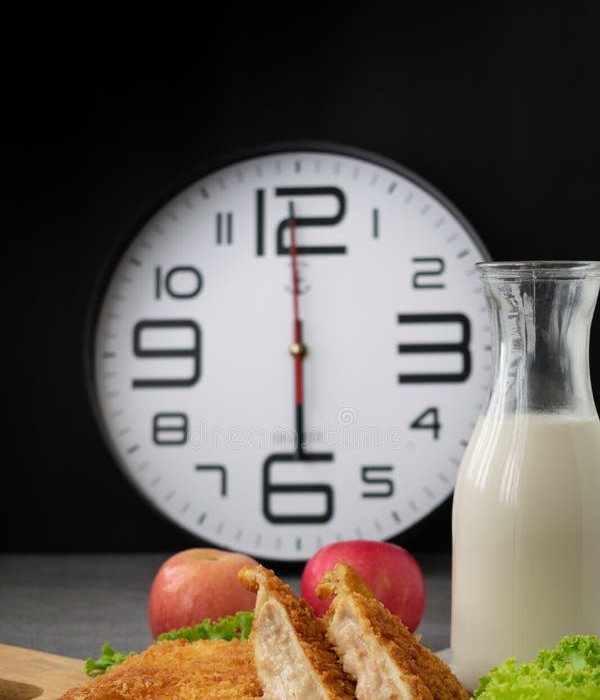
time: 5:59
